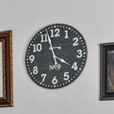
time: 3:57
